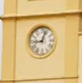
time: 9:03
